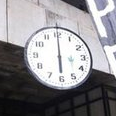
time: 5:59
